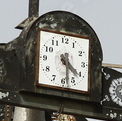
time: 4:28
